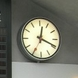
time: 12:19
